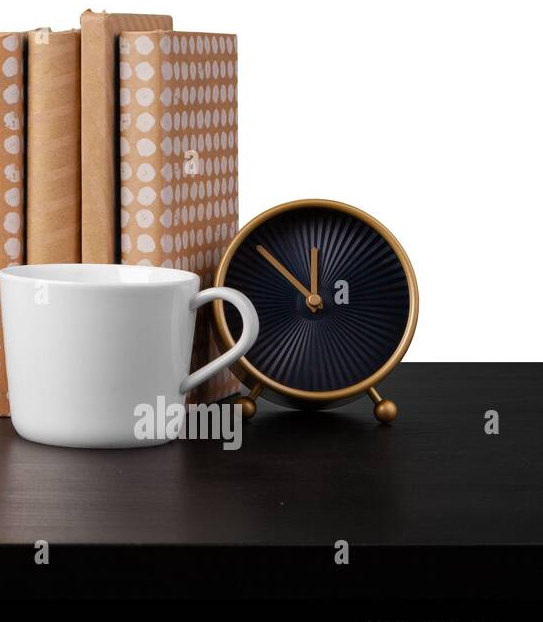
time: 11:50
